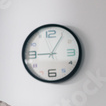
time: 9:05
